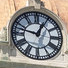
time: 12:47
